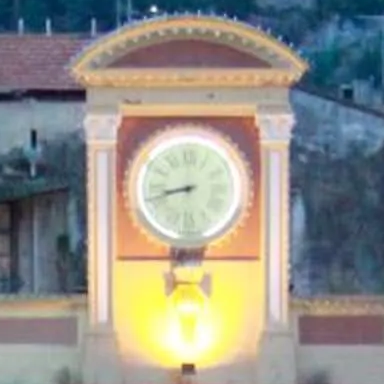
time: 8:42
